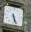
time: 5:26
